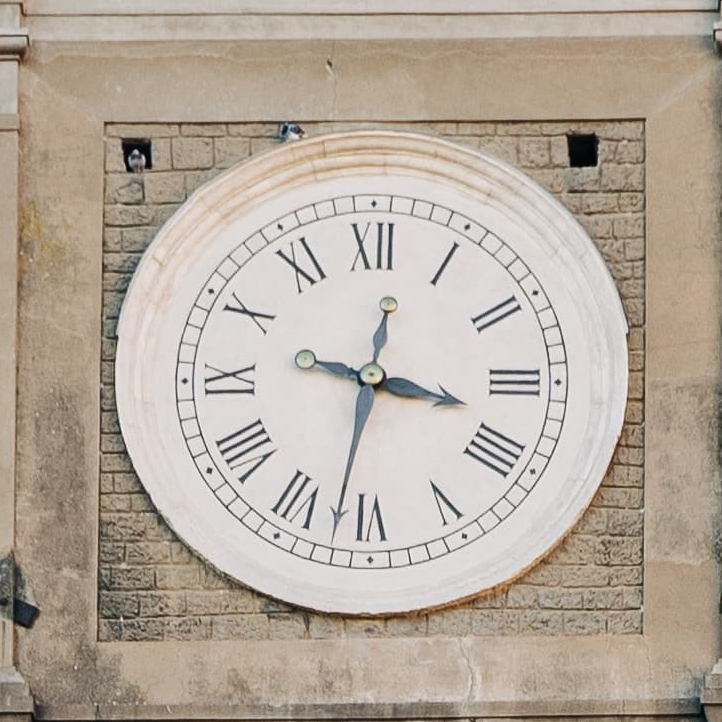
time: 3:32
